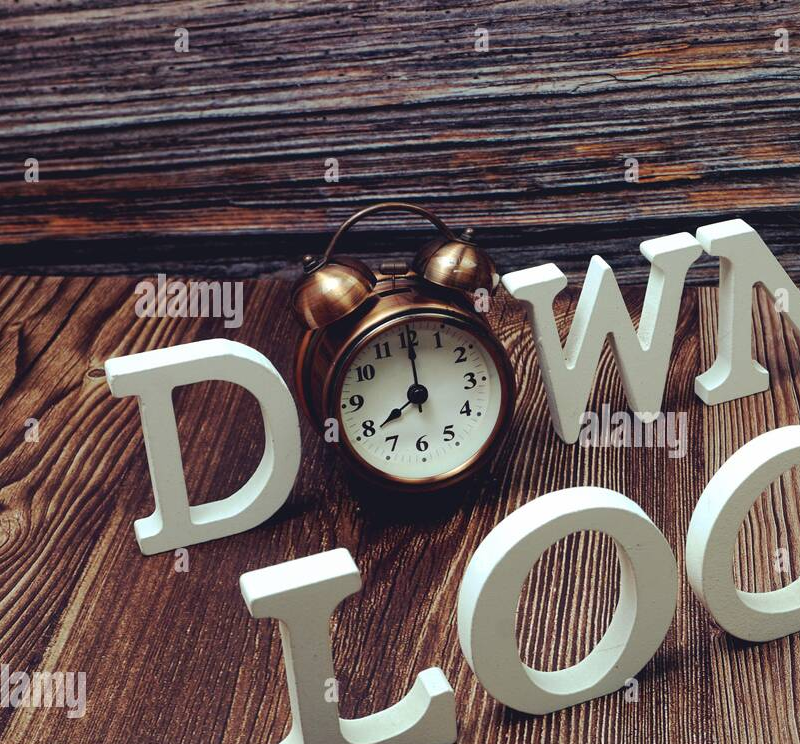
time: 8:00
